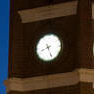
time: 8:26
